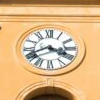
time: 3:41
